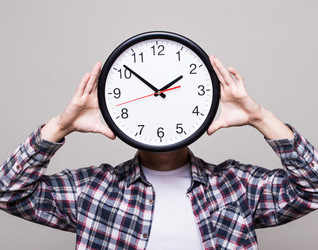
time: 1:51
